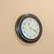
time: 11:18
